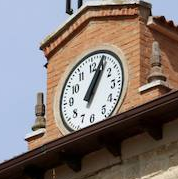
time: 1:04
